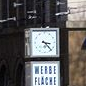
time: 3:22
